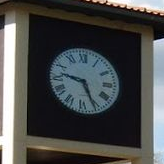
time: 9:25
